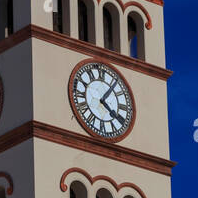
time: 4:06
